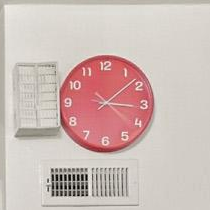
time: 3:08
